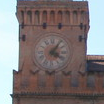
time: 4:04
